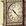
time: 10:21
